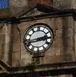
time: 2:42
